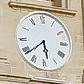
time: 5:38
